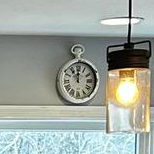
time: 11:53
